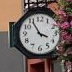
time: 3:55
